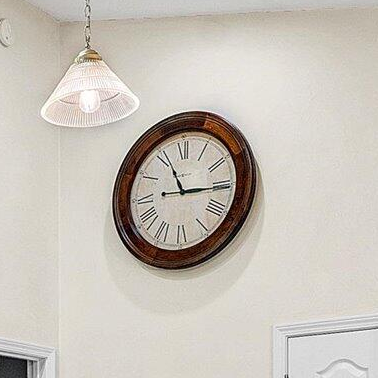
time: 11:14
